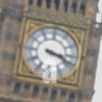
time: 3:18
